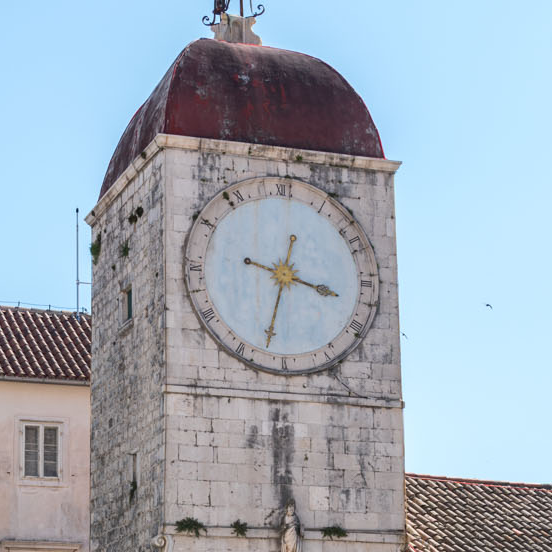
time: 3:32
